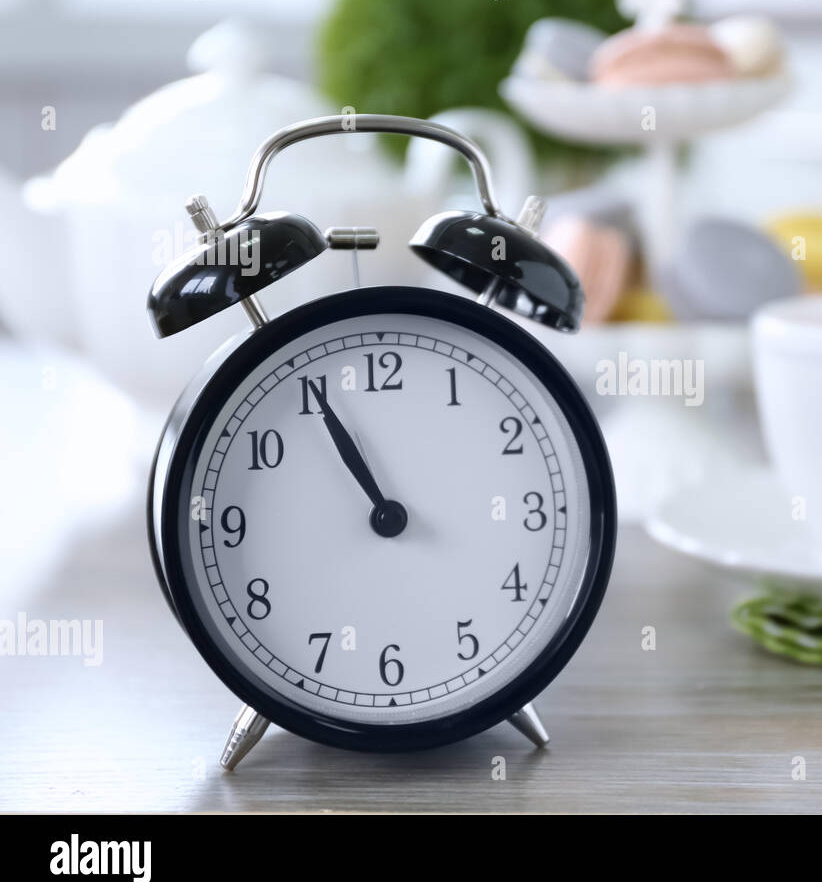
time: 10:55
